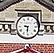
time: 9:30
